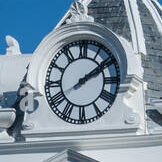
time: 2:09
